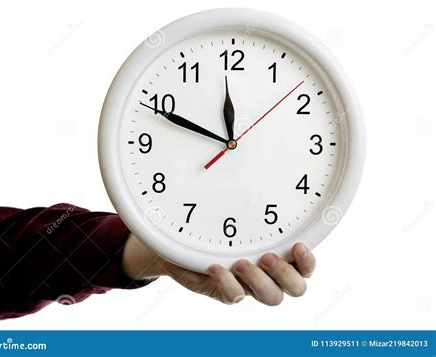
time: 11:48
